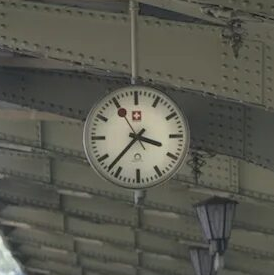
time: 3:37
